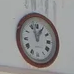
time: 12:57
